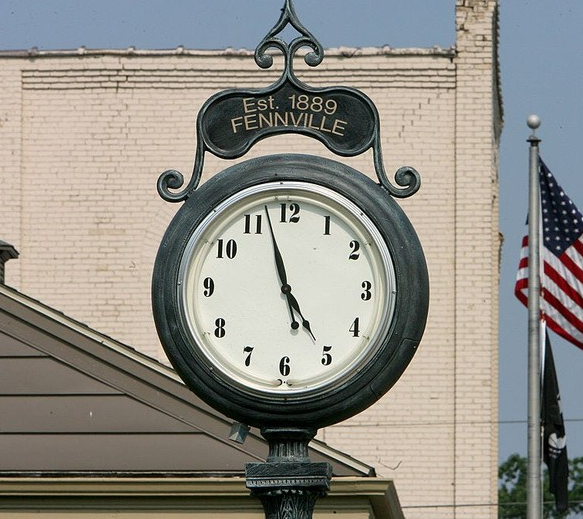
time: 4:57
